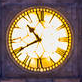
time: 10:40
